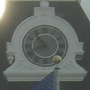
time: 10:41
